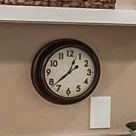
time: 12:37
